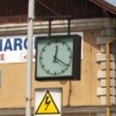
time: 12:20
